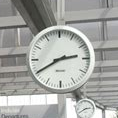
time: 2:40
